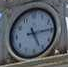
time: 5:14
